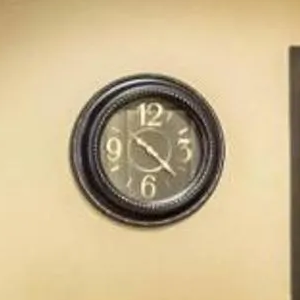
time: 4:22
